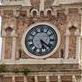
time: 5:21
